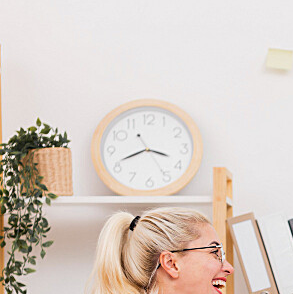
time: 3:41
